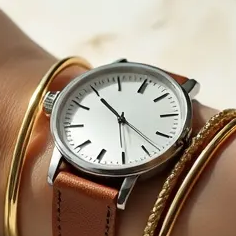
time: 10:54
